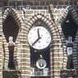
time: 11:37
